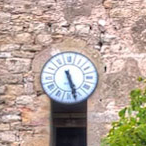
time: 5:27
